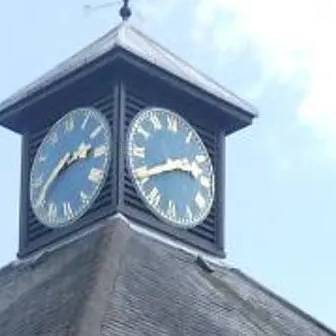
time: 2:40
